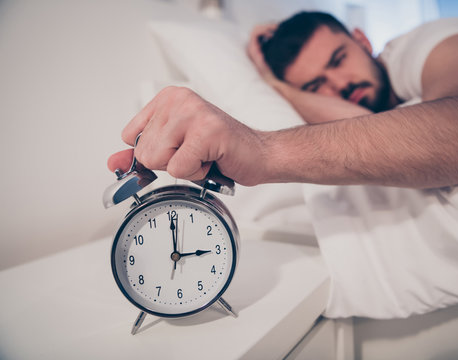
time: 3:00
